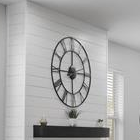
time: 12:14
